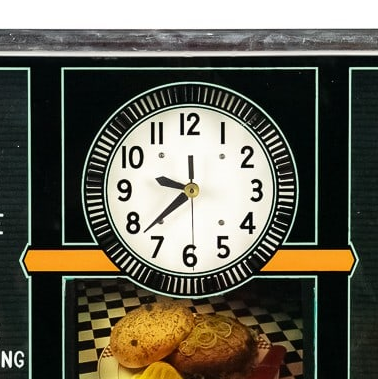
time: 9:38
